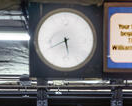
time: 5:40
